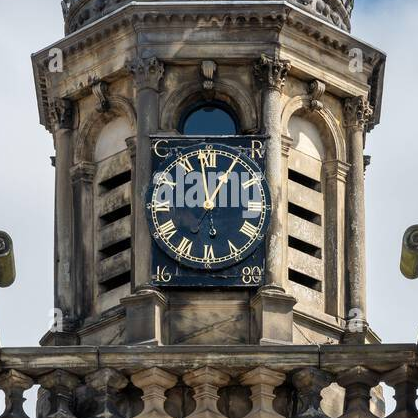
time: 12:58
